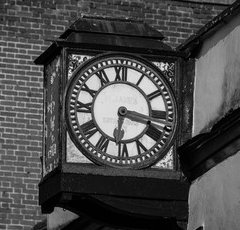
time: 6:17
